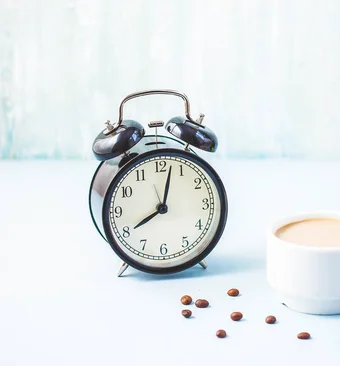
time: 8:02
